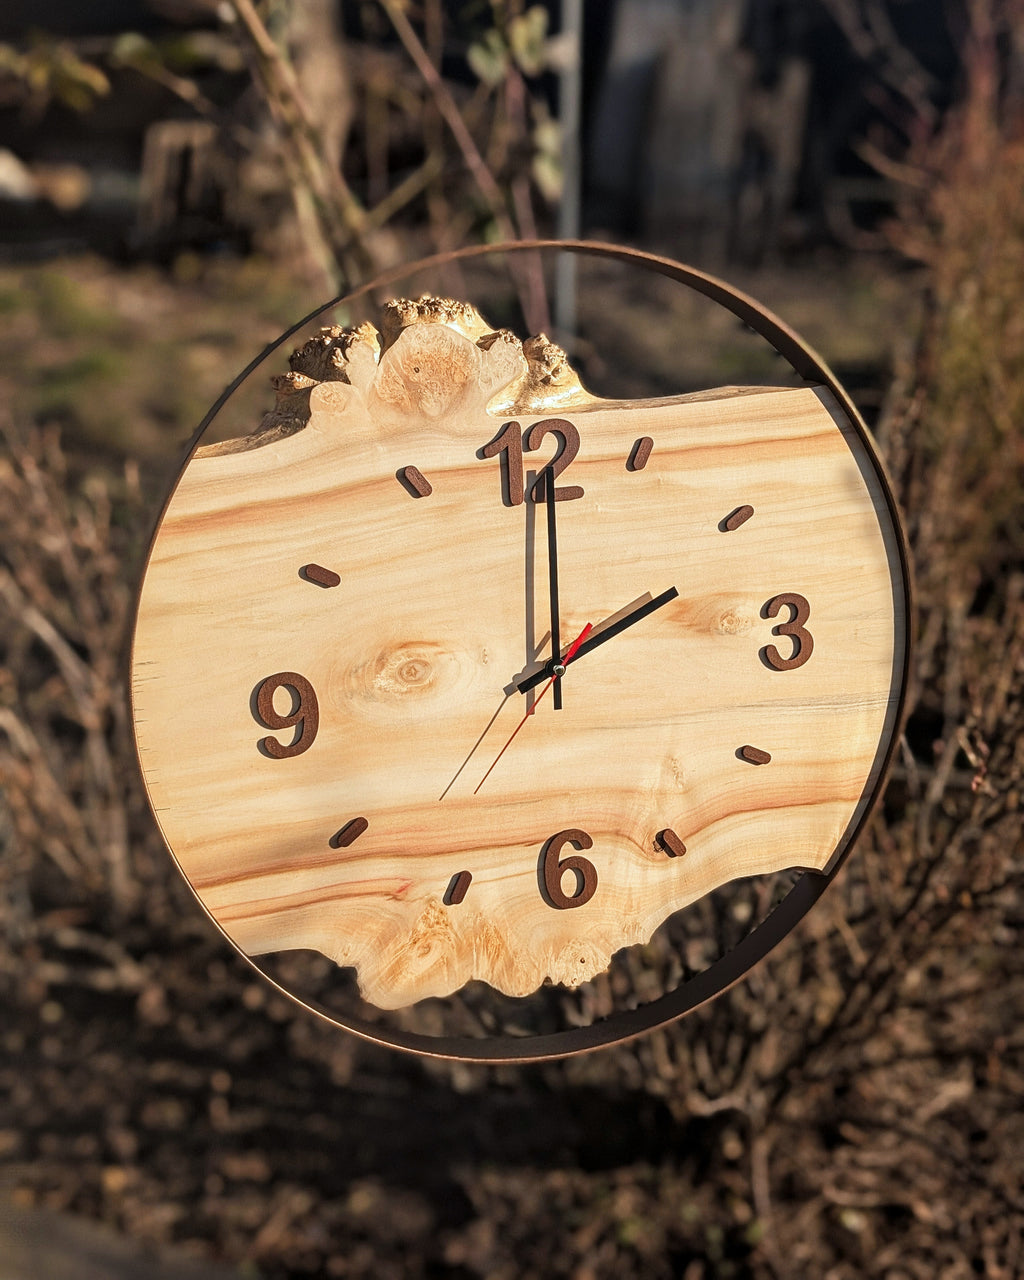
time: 2:00
